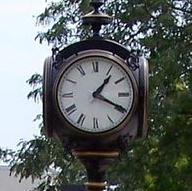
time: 1:19
